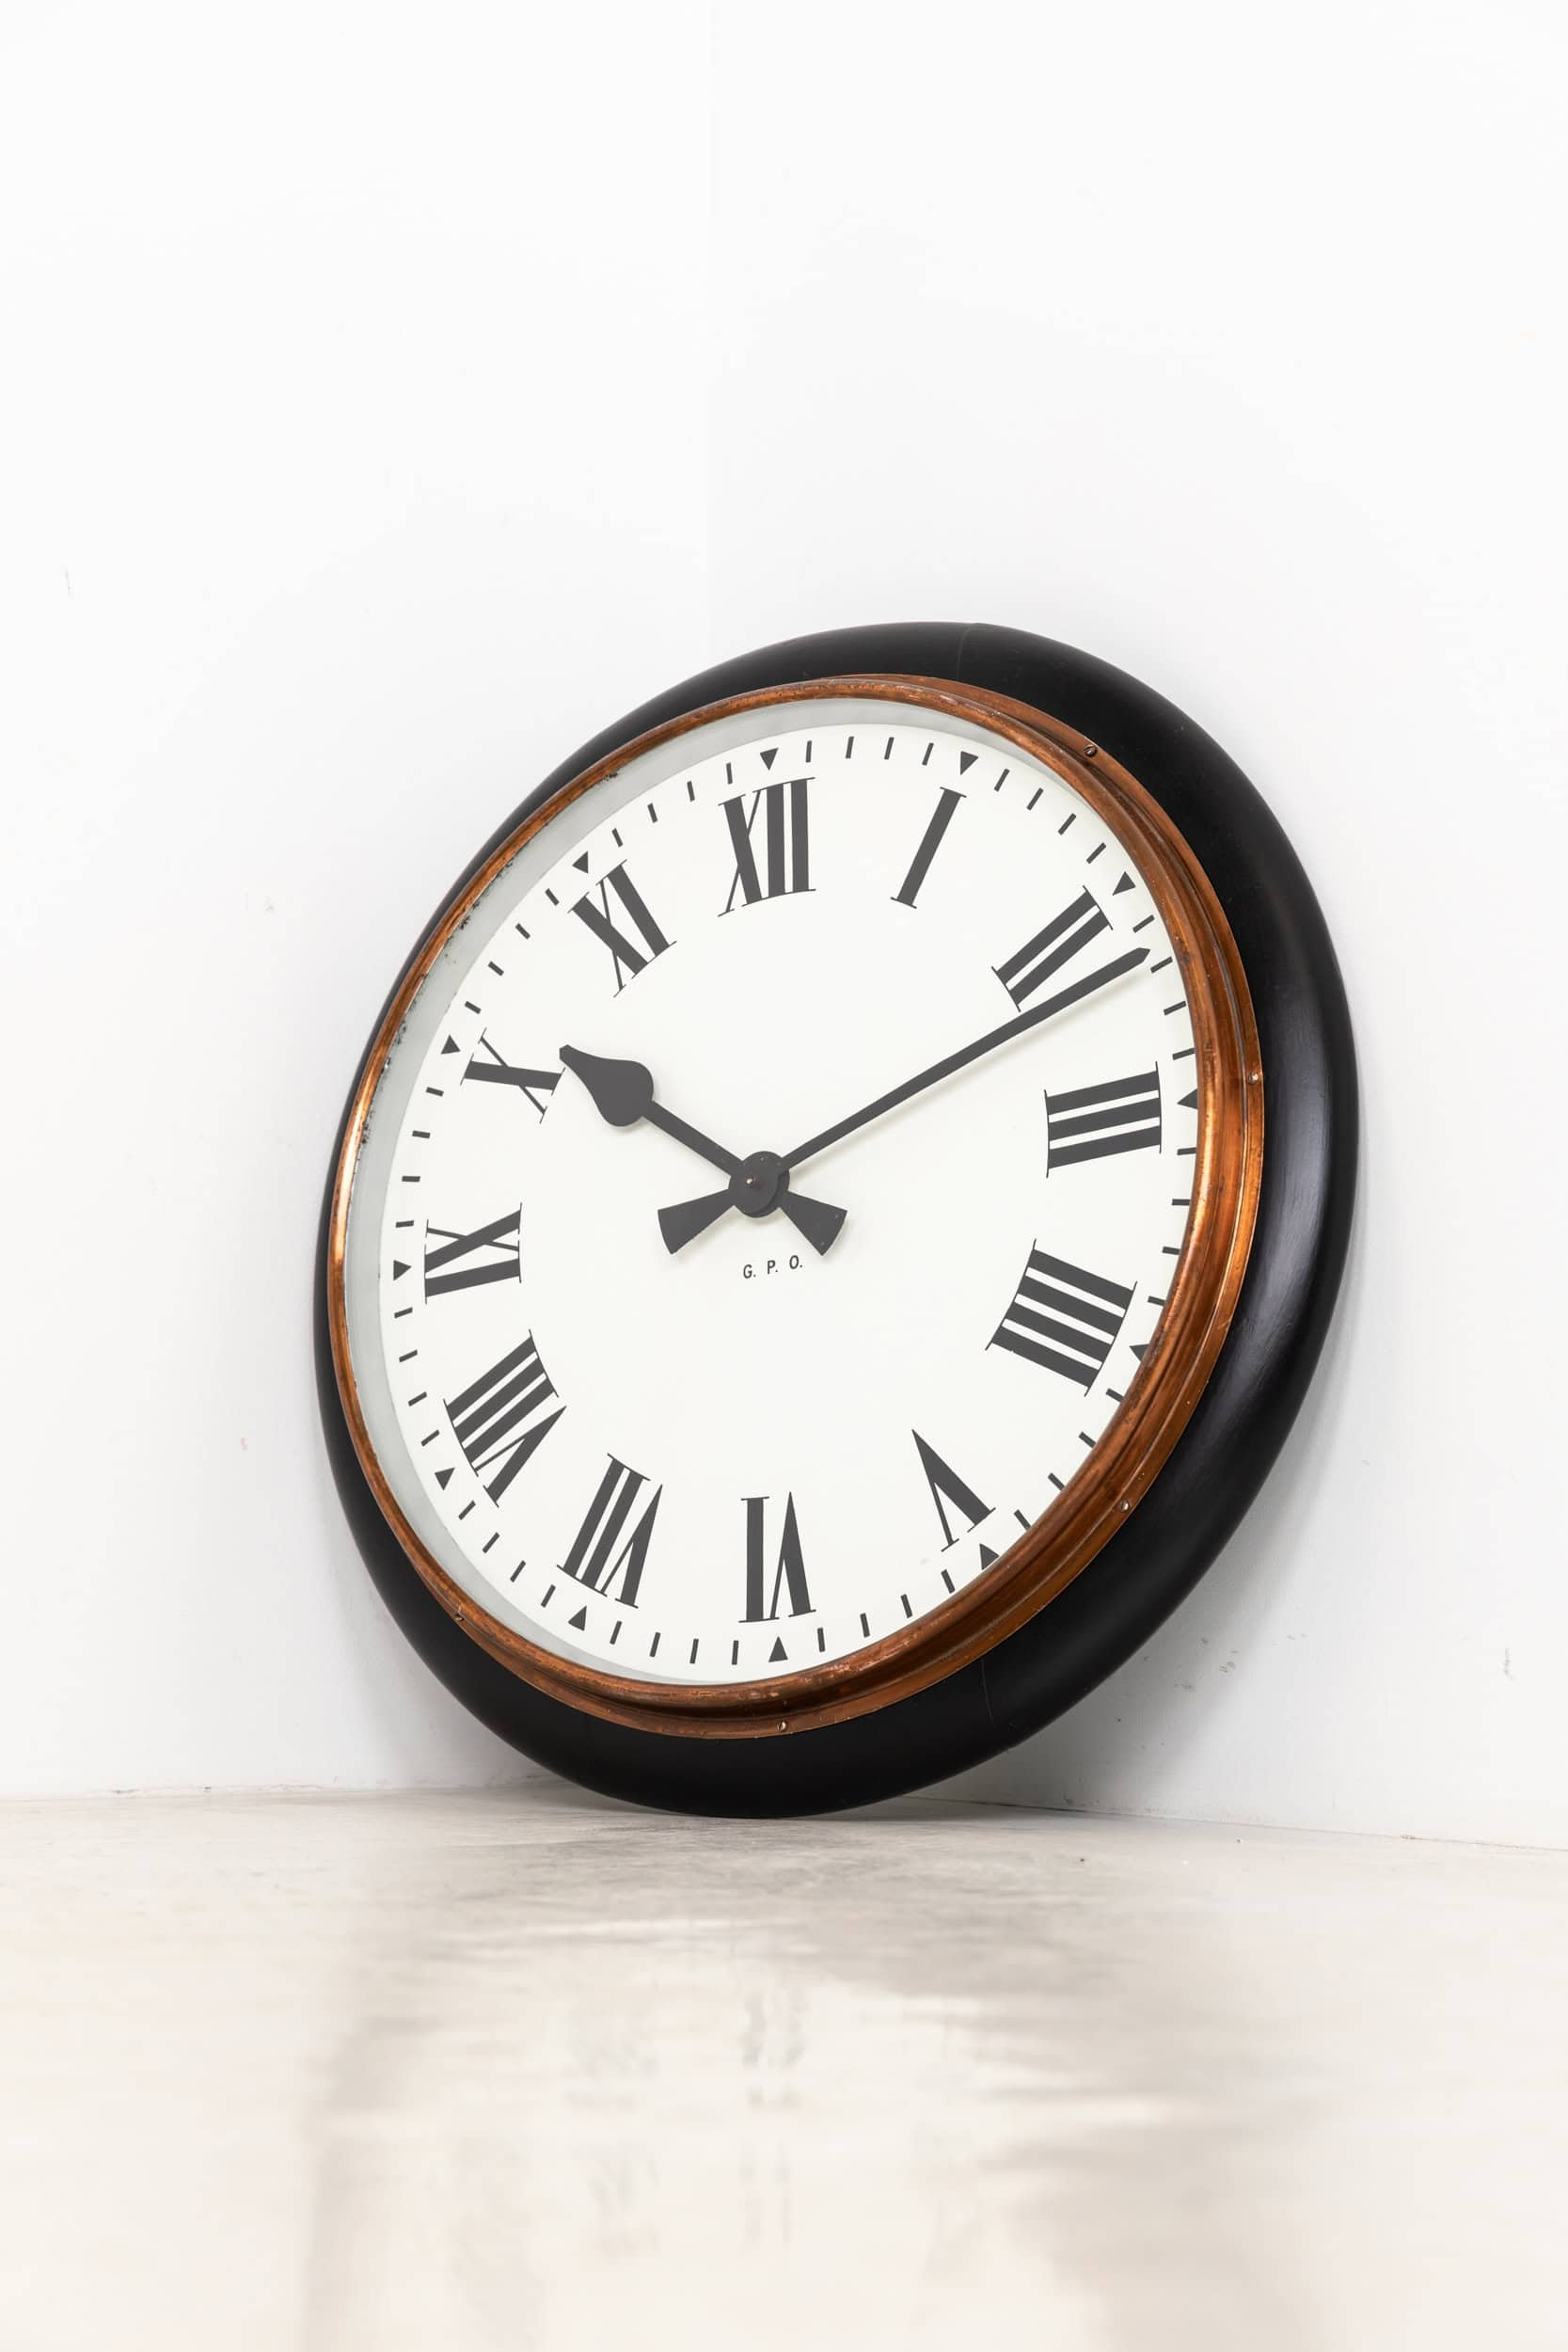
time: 10:11
